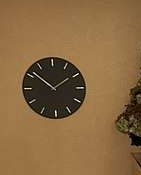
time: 1:51
